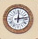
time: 12:13
